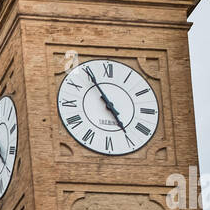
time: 4:54
